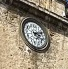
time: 2:18
